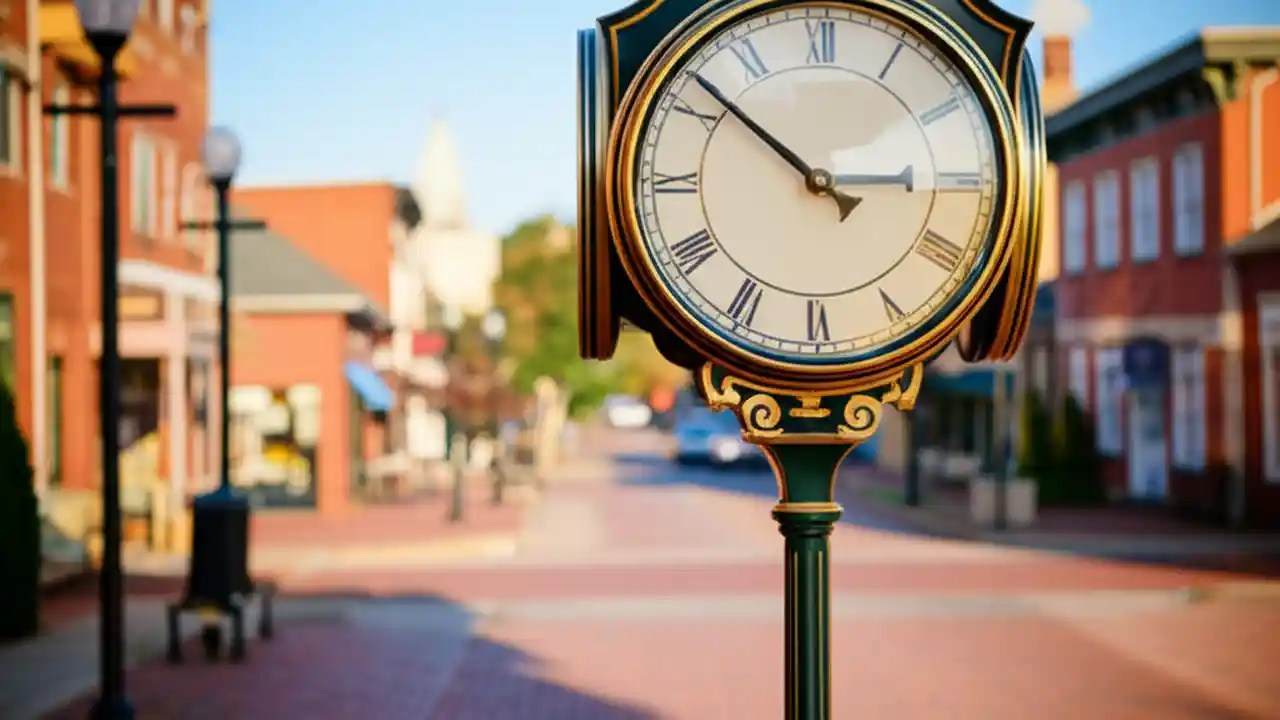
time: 2:51
